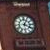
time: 4:04
